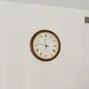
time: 11:47
